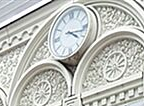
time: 4:16
